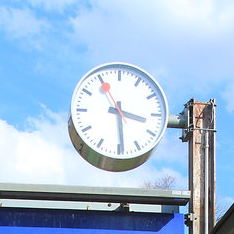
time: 3:29
